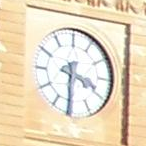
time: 3:30
